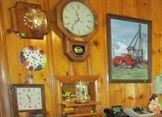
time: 11:36
